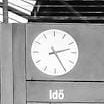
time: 2:25
